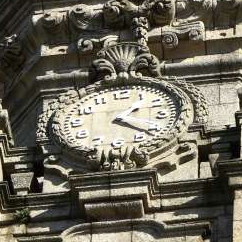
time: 1:20
